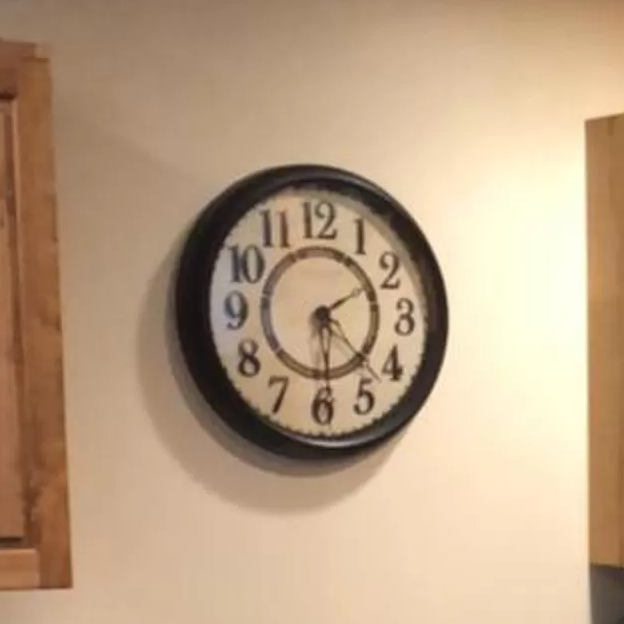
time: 4:29
